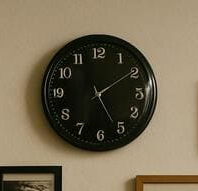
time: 5:09
